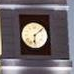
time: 6:08
